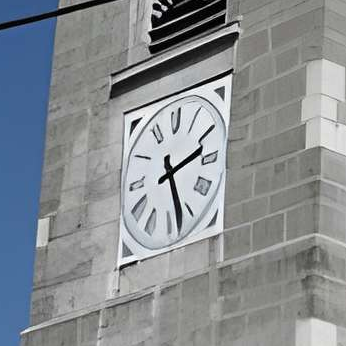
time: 2:26
